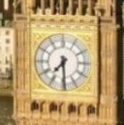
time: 7:29
